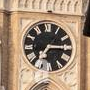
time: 7:15
